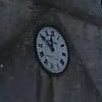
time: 11:50
